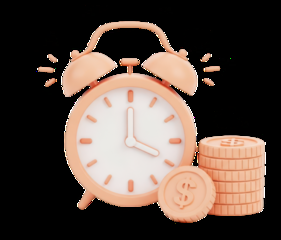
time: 4:00
